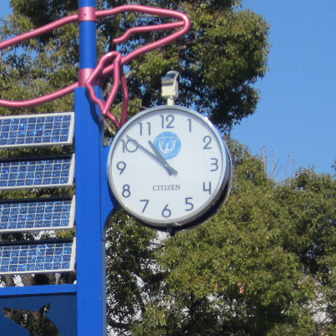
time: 10:51
